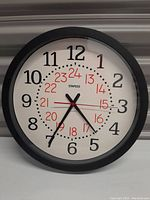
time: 4:35
